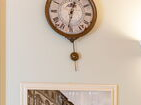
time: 12:31
